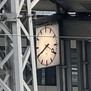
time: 3:40
